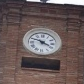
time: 3:48
